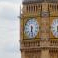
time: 6:28
